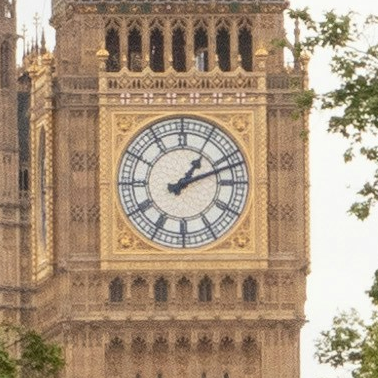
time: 1:11
